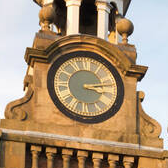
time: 3:13
